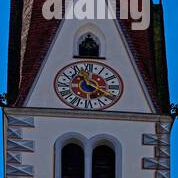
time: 11:18
